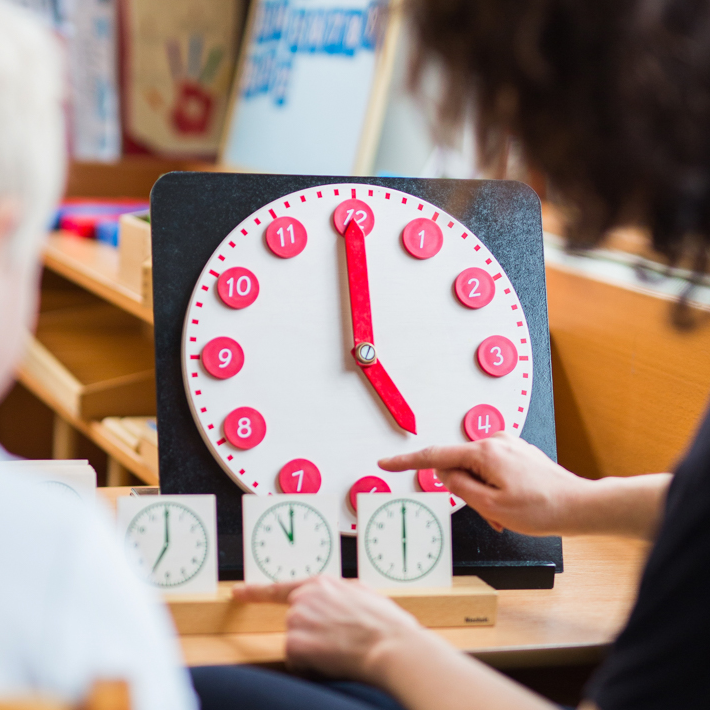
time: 5:00
